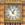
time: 12:53
